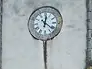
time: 12:21
